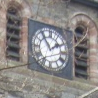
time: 1:54
